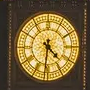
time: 4:31
